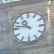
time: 10:47
